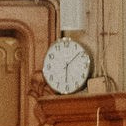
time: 6:08
